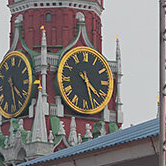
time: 4:27
